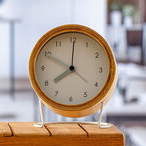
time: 7:49
